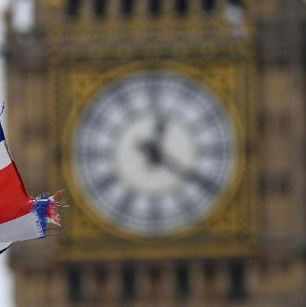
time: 12:21
